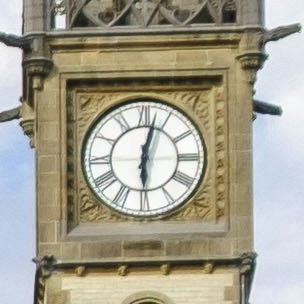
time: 6:02
